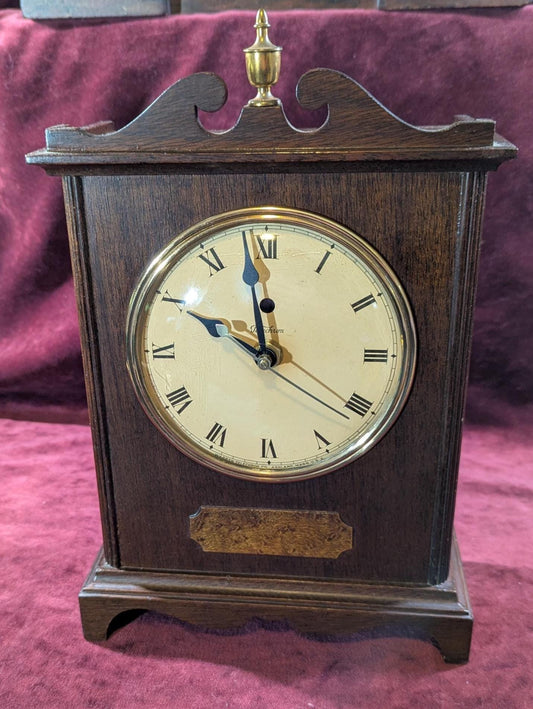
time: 9:58
